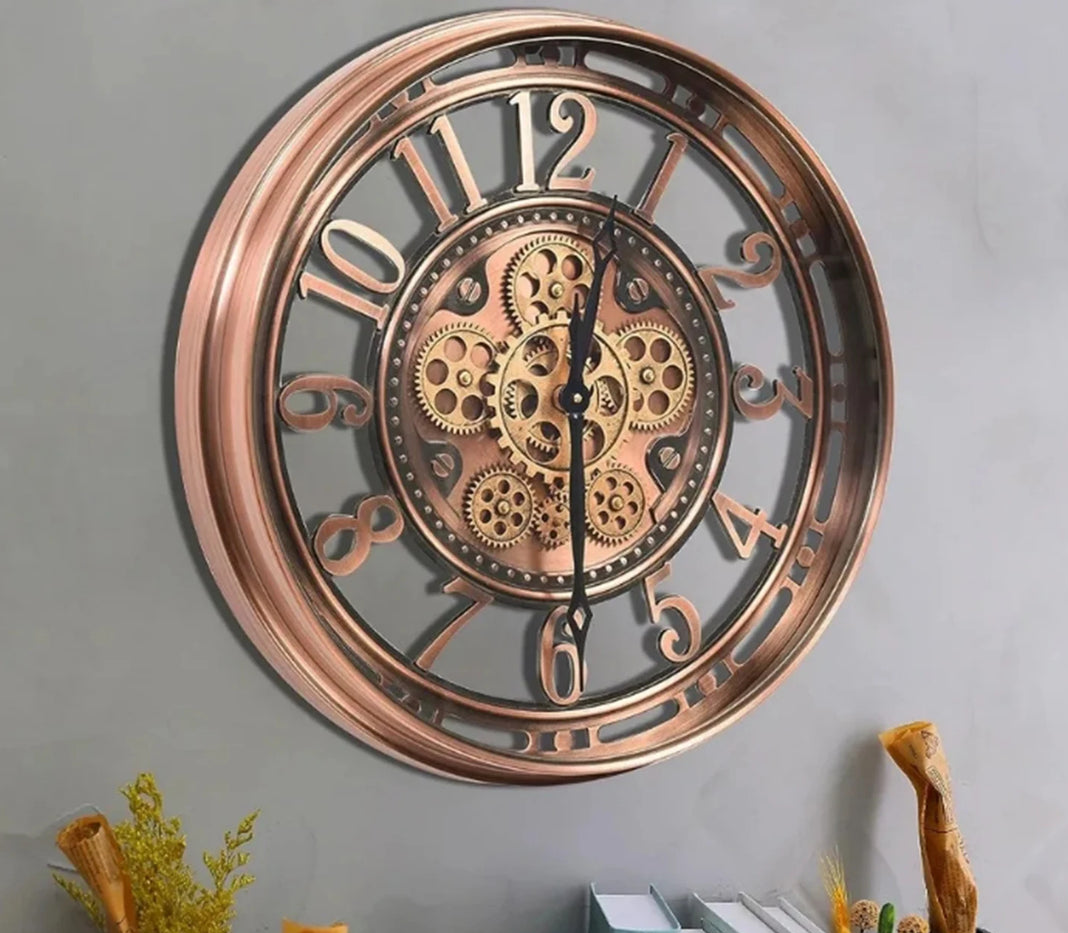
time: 12:29
